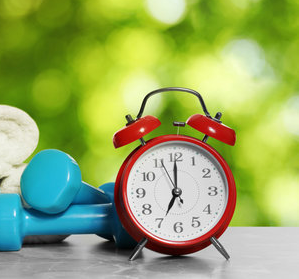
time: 7:00
